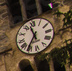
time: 11:35
